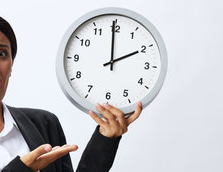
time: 1:59
